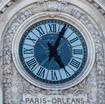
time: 5:04
